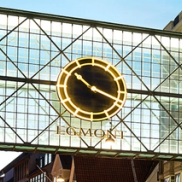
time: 10:18
